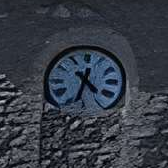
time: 4:33
